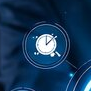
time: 12:07
